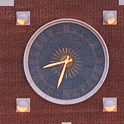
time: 8:33
